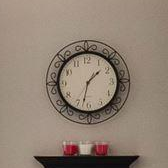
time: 1:32
